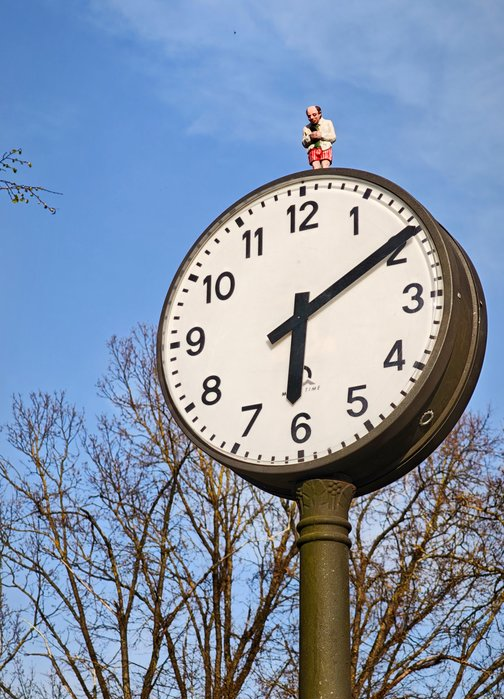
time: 6:09
